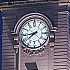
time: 8:38
